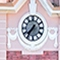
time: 7:36
